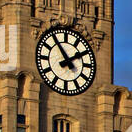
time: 1:53
